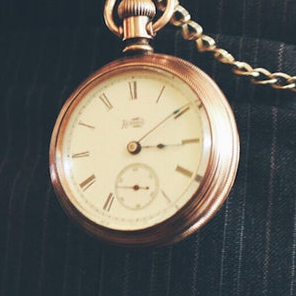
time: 3:09
